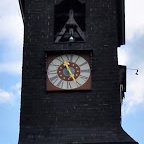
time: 11:25
